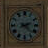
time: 2:22
